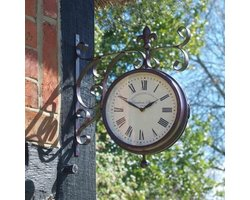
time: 1:49
